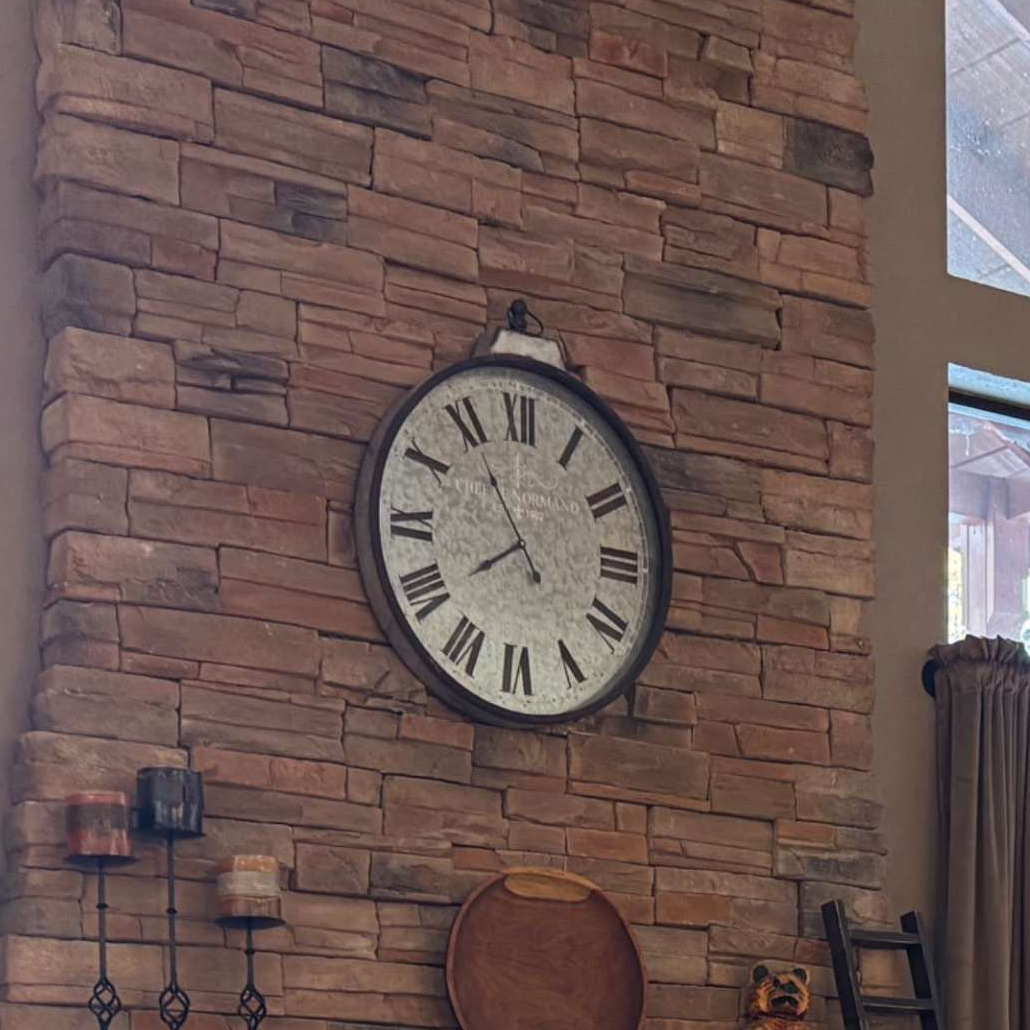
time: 7:55
